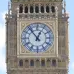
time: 12:53
